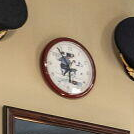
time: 6:54
